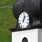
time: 1:02
